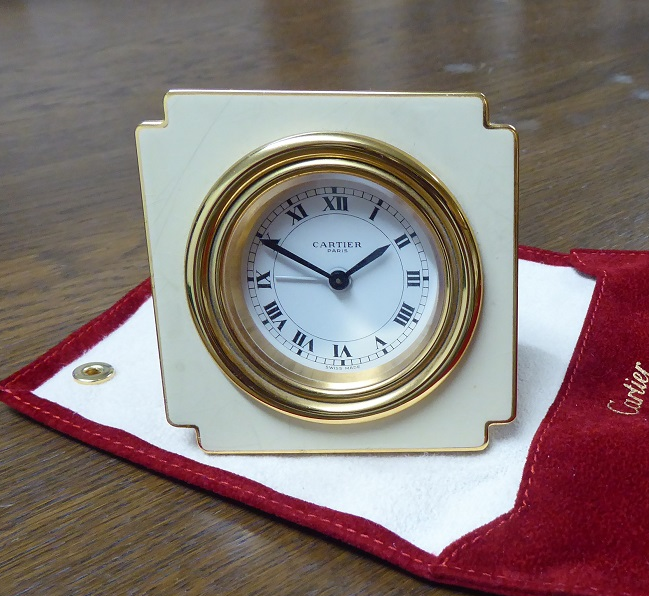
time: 1:49
